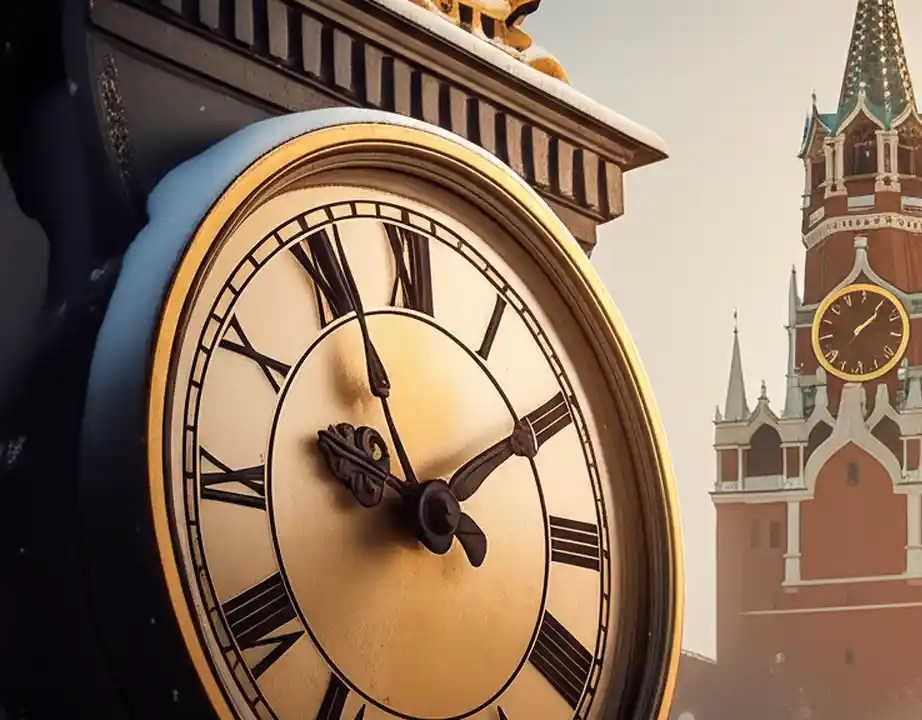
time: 1:56
